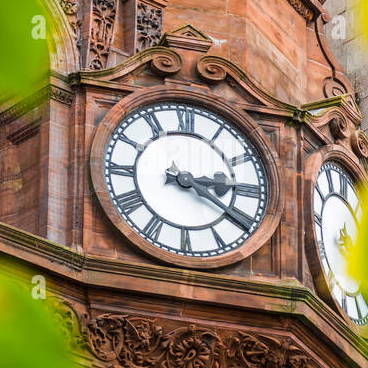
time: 3:20
